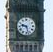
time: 9:27
